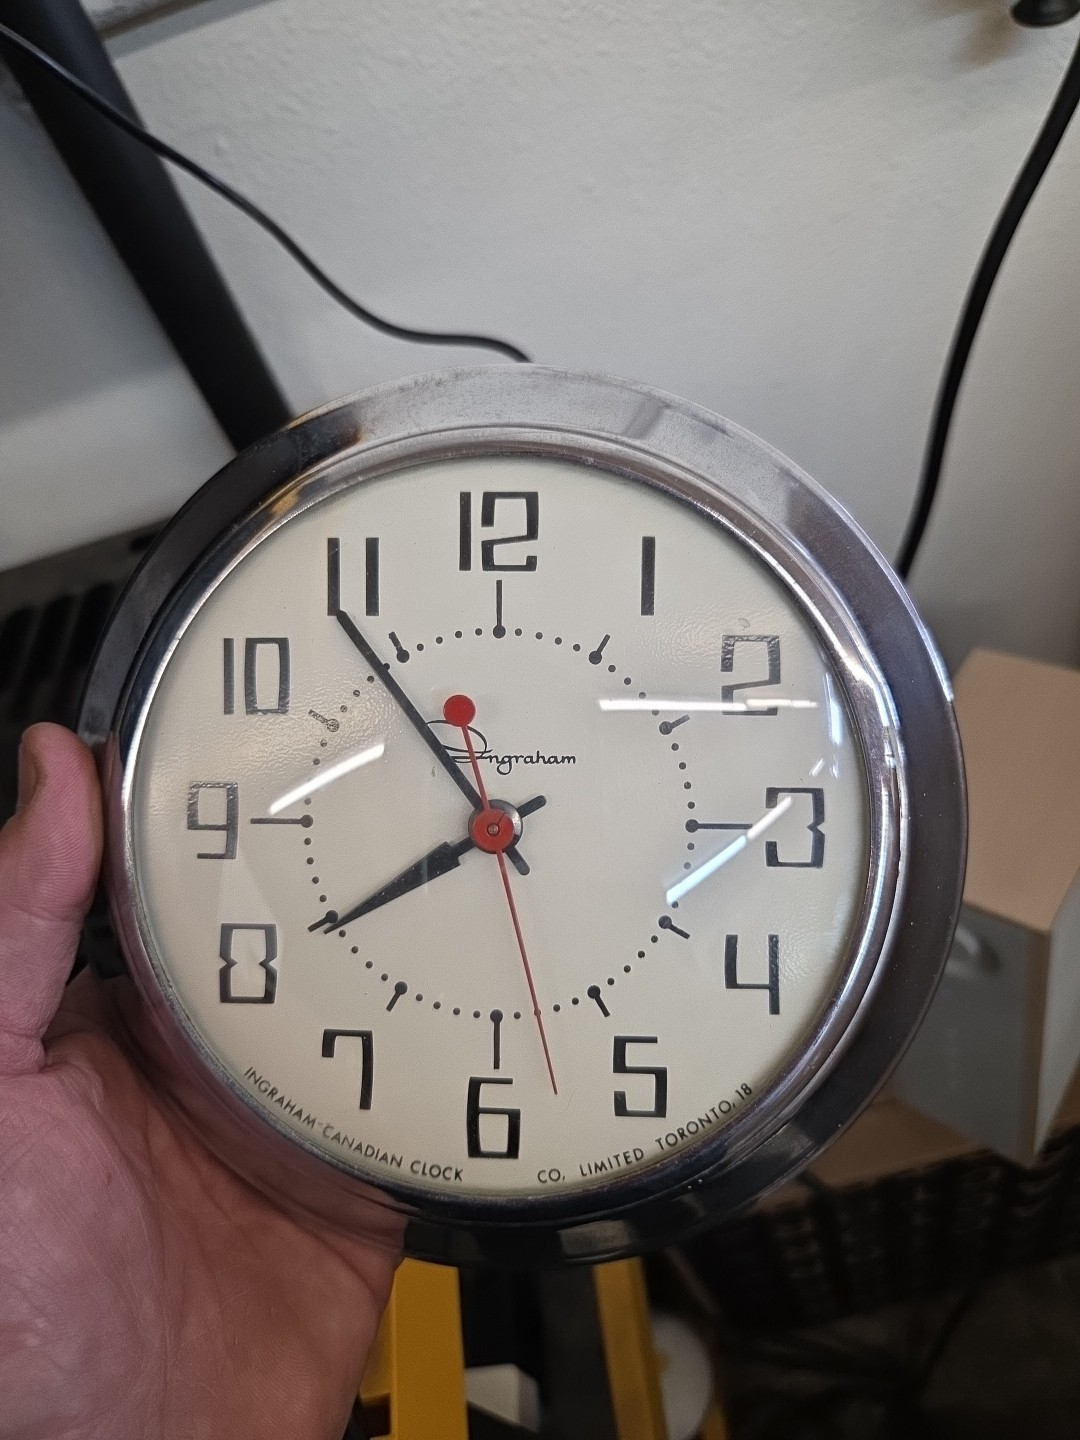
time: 7:53
